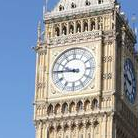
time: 9:45
